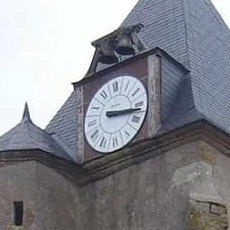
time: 3:17
